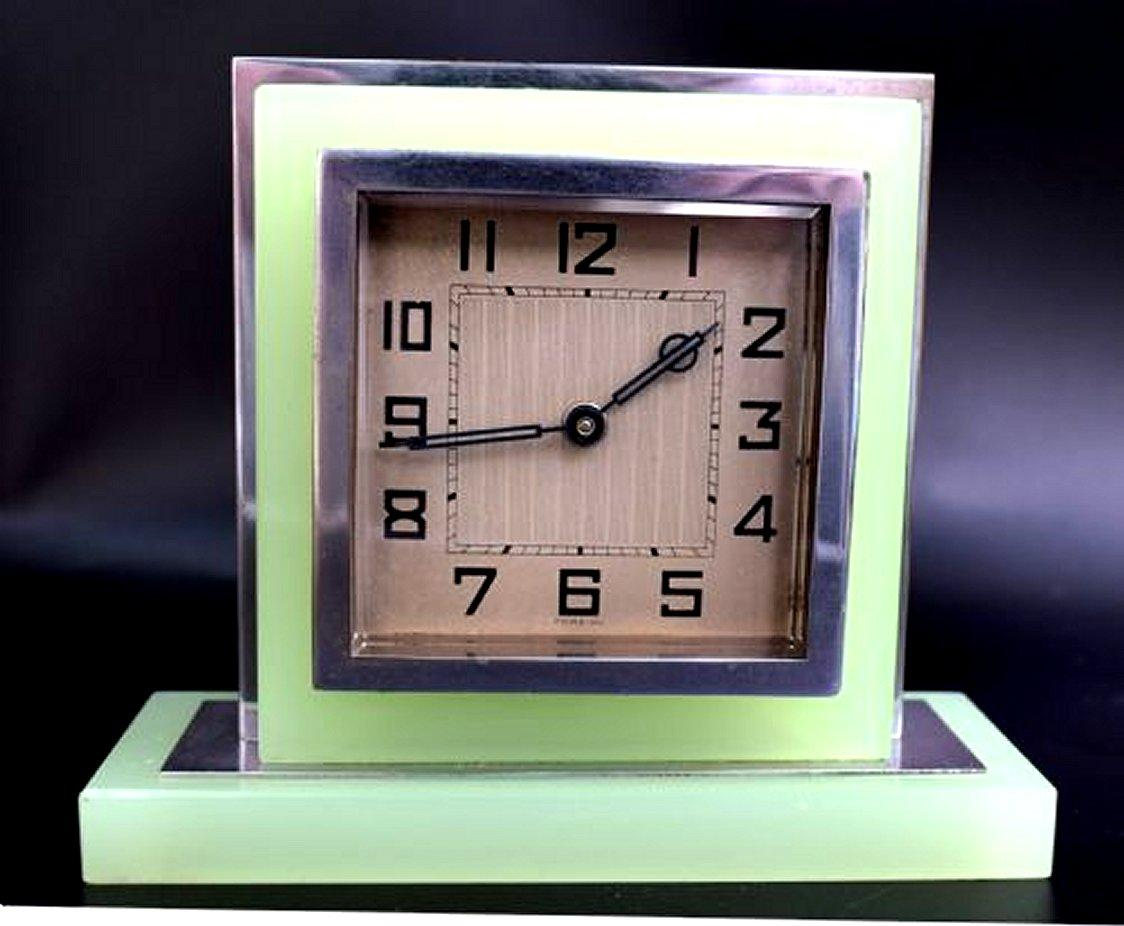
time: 1:43
